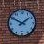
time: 1:50
